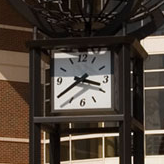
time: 3:39
